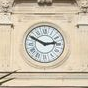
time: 2:49
